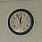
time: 11:56
